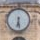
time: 6:28
